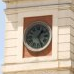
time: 1:25
